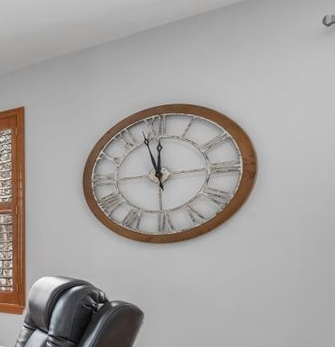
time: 11:57
